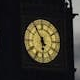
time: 5:54
